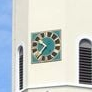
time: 9:35
